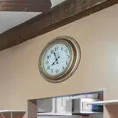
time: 7:57
